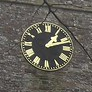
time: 1:12
